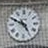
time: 4:49
